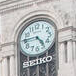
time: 4:44
